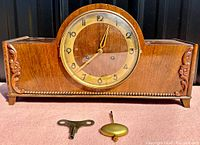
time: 12:38
